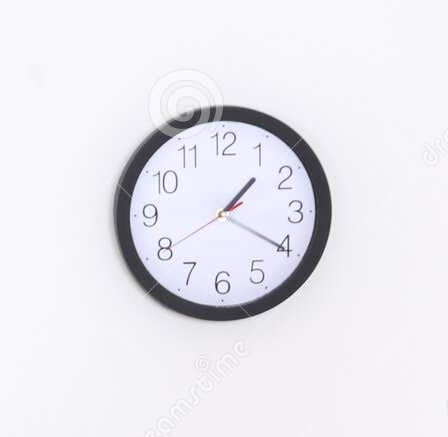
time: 1:20
